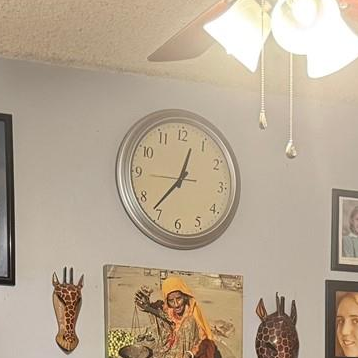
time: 12:36
